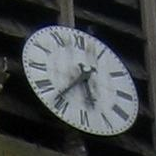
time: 5:36
